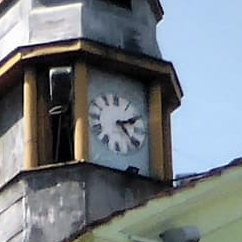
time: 2:21
